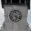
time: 5:18
